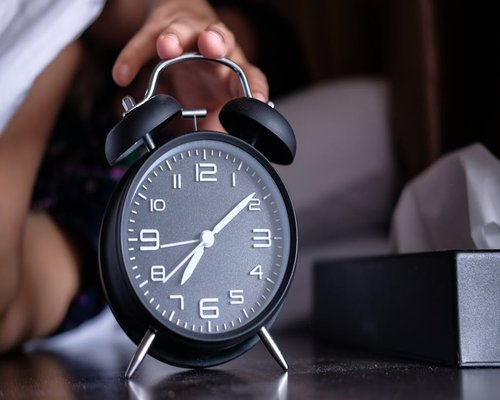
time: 7:08
